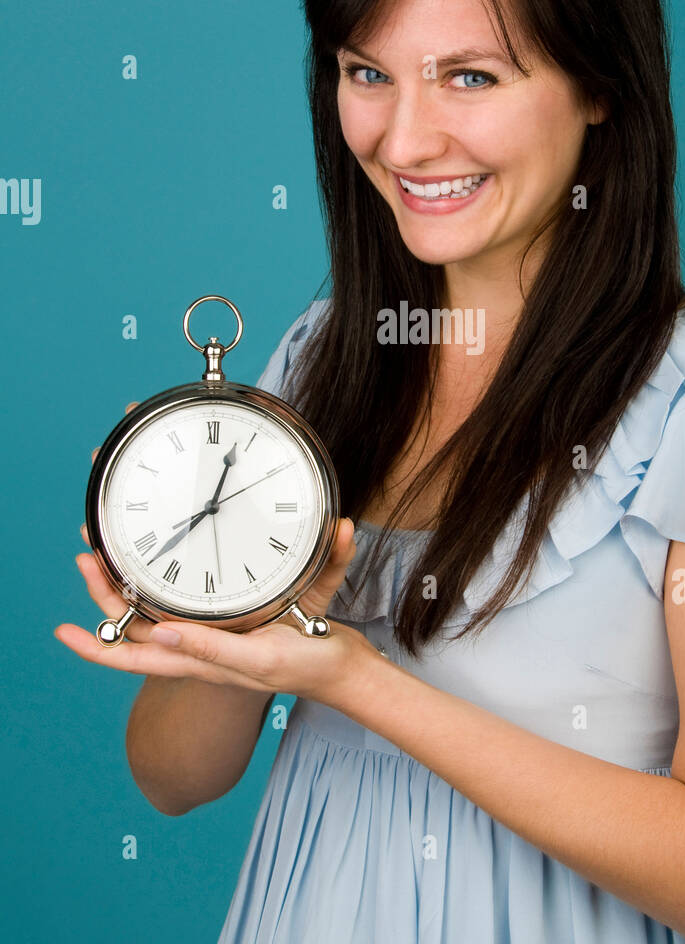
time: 12:37
